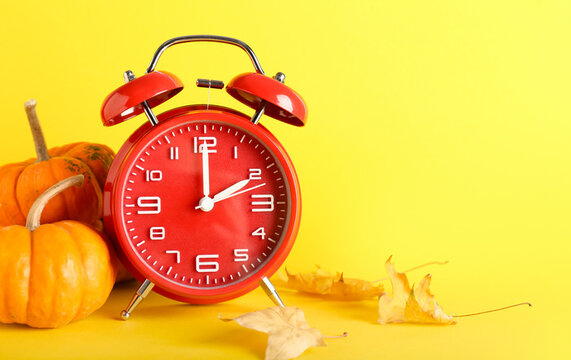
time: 2:00
